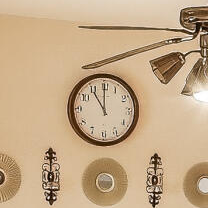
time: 11:00
